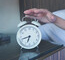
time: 6:42
